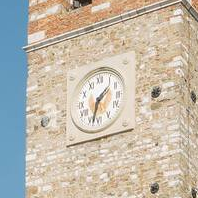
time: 1:33
